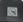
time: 3:22
